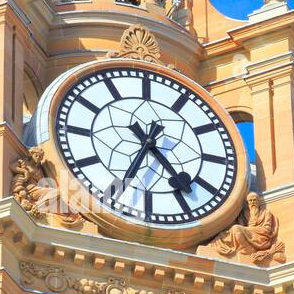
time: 4:34
